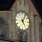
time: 5:05
